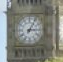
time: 3:05
